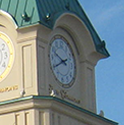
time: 9:40
